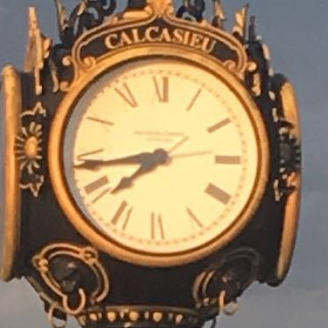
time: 7:43
